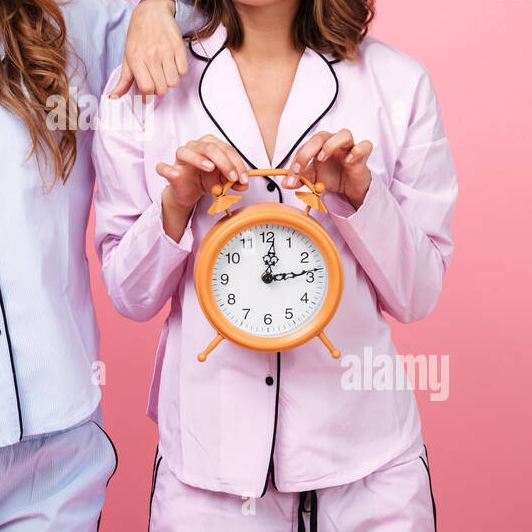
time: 12:13
